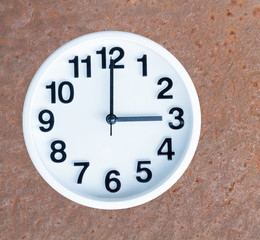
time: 3:00
